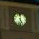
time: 4:59
